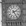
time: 2:24
